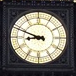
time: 8:48
